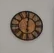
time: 6:00
